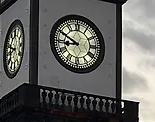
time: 8:49
